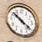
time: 10:21
